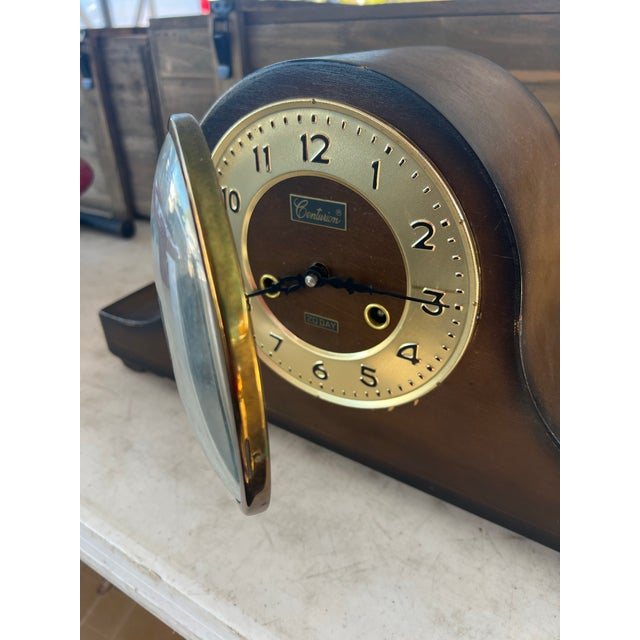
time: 8:15
